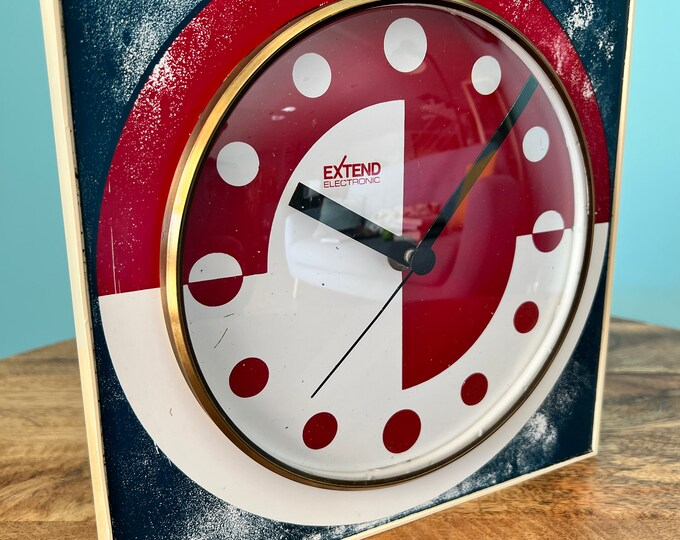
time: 10:07
